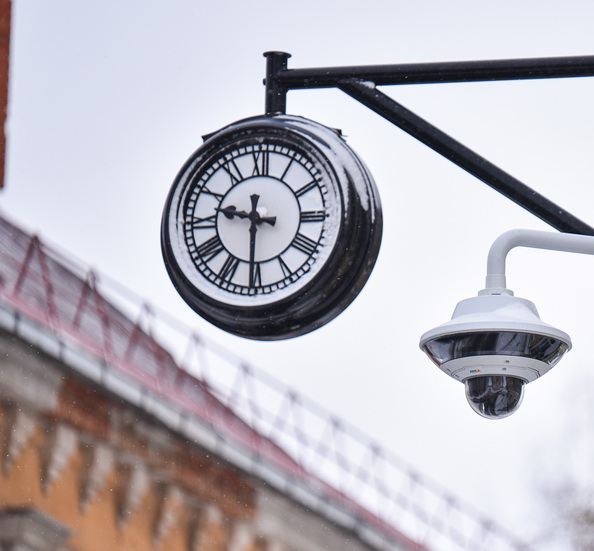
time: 9:30
